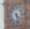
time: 4:28
